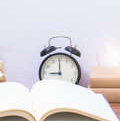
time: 8:59
